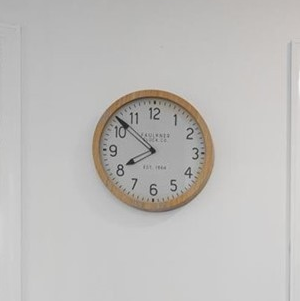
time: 7:51
